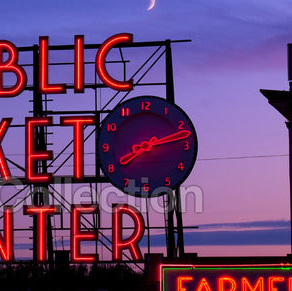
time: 8:13
